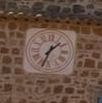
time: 1:33
